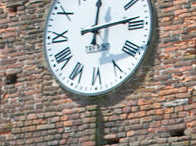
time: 12:13
